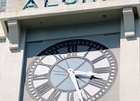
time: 3:26
